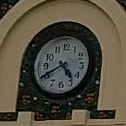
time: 4:40
